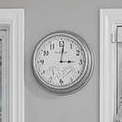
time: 3:01
